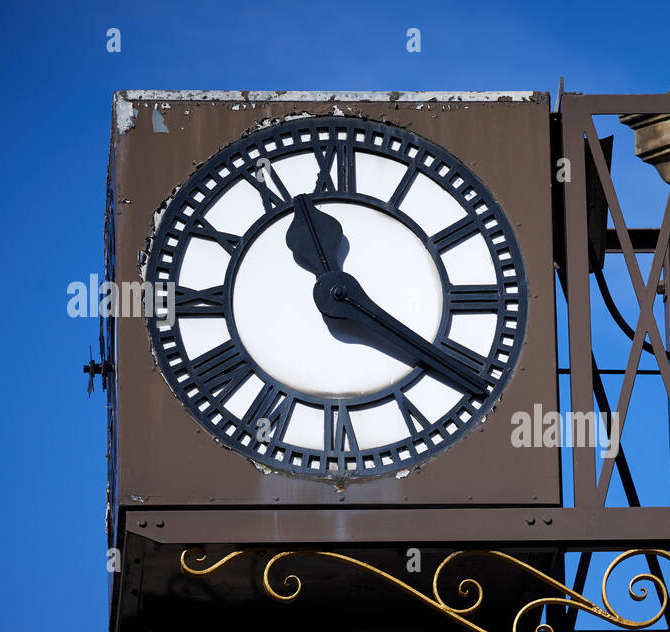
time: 11:20
